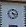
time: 4:16
